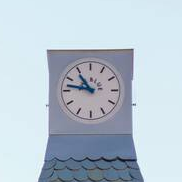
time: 10:47
